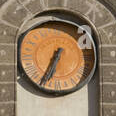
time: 6:34
